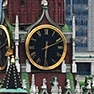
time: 6:11
